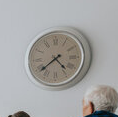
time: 4:38
